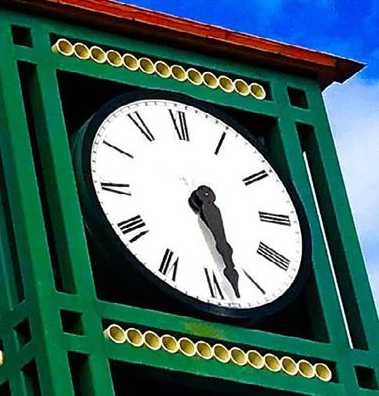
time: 5:27
